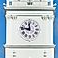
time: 11:46
